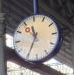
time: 11:34
